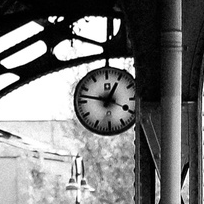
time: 12:47
